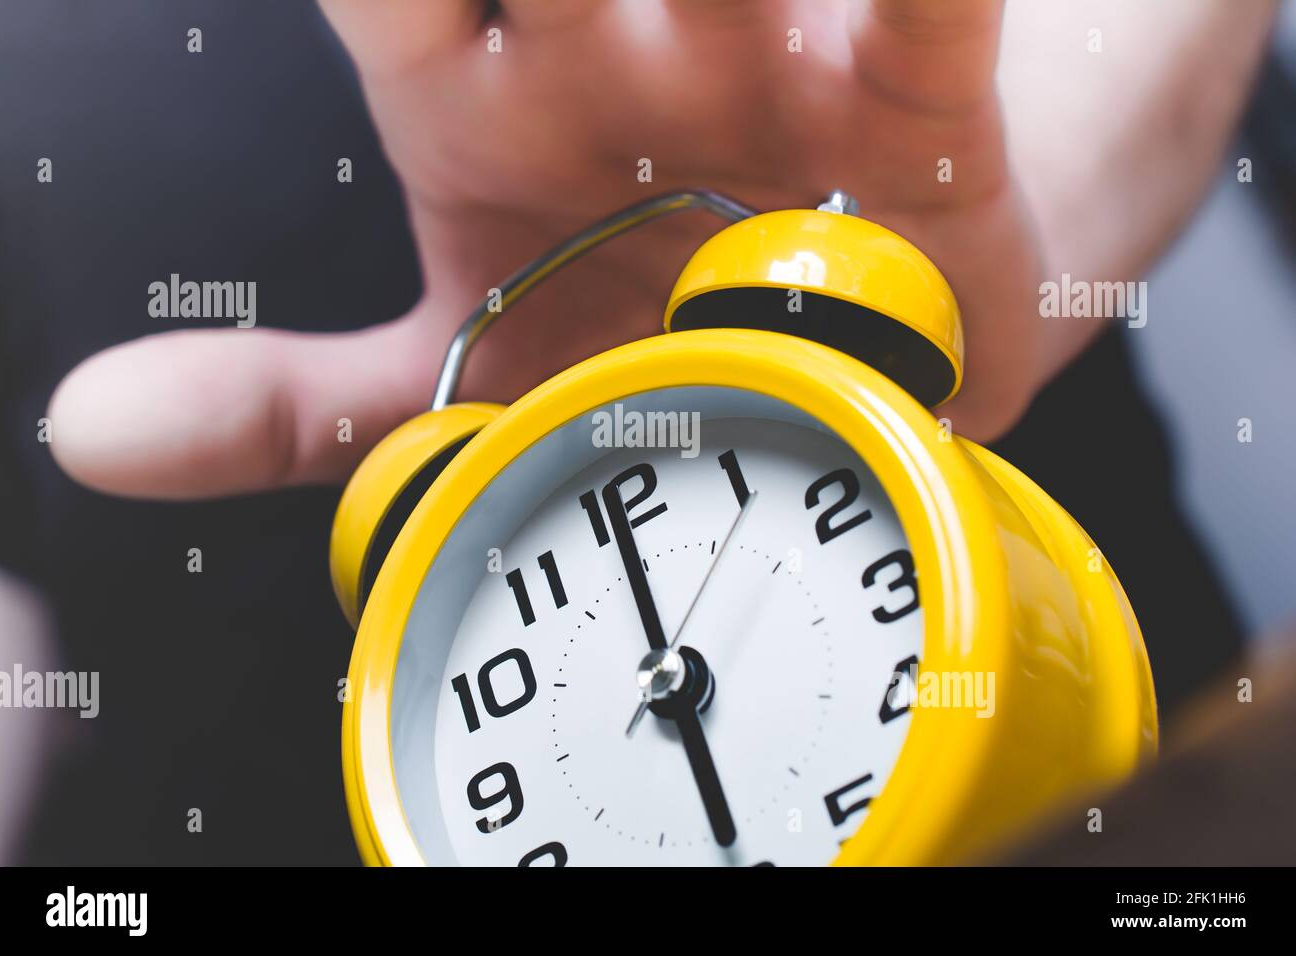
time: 6:00
